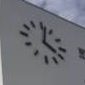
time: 4:01
